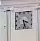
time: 3:27
